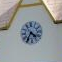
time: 4:35
